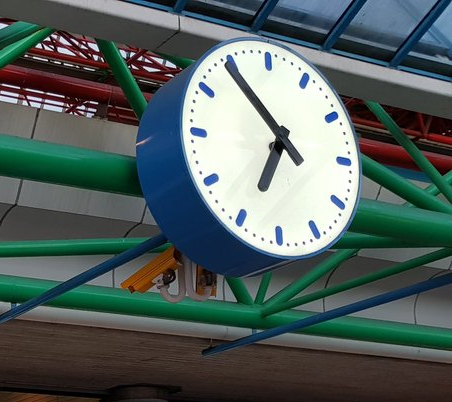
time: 6:54
